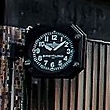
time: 10:08
